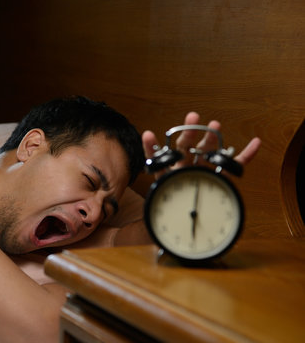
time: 6:01
